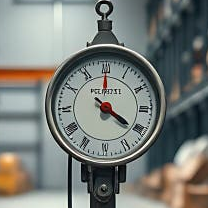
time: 4:20
